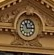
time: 11:14
